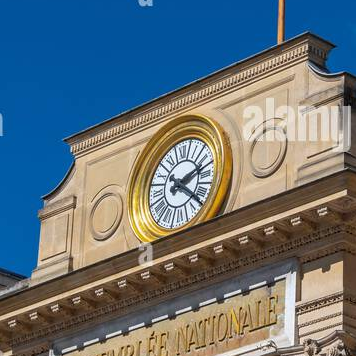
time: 2:21
